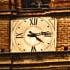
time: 4:13
